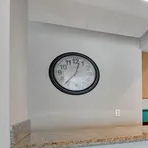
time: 12:36
